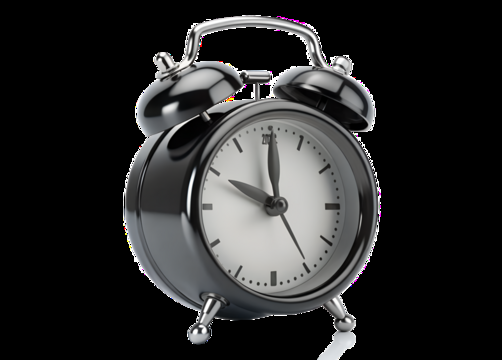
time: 10:00
